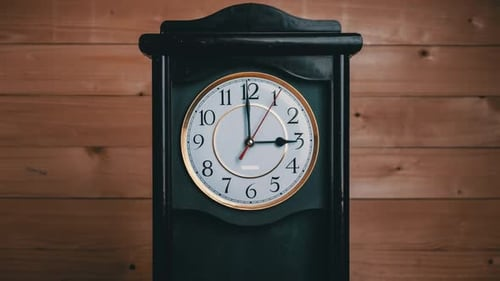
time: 2:59
